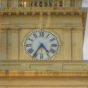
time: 4:35
